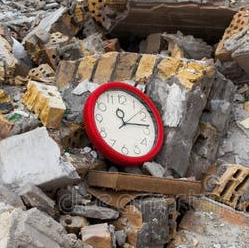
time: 11:13
